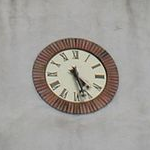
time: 4:26
